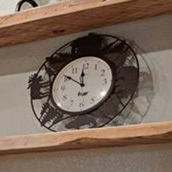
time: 11:50
